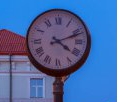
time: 4:11
